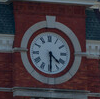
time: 4:29
